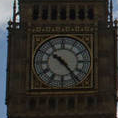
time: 10:24
